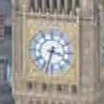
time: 3:32
